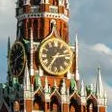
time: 2:36
